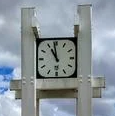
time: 10:58
